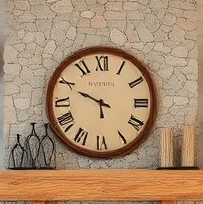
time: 5:49
